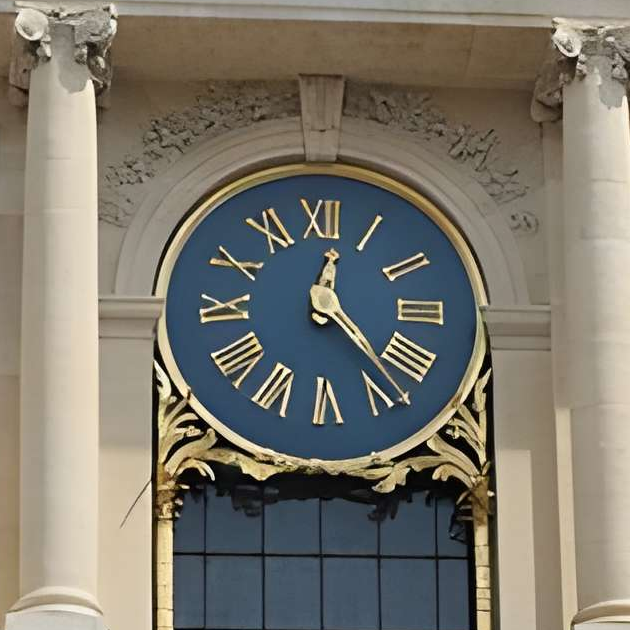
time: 12:23
